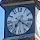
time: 7:20
